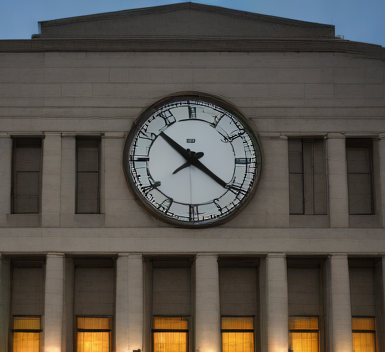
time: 10:21
